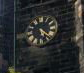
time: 5:21
